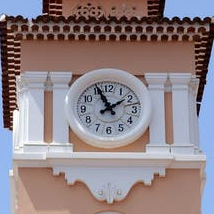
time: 1:55
